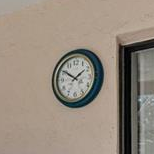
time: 1:50
